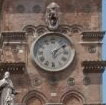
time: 6:08
